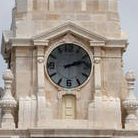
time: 2:12
